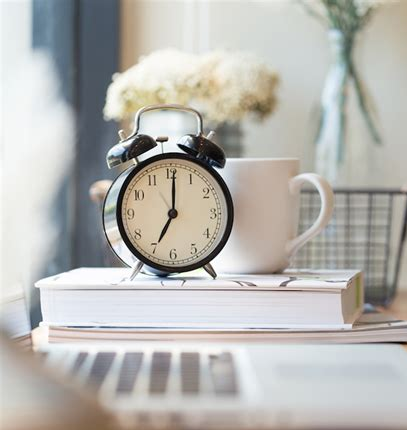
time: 7:00
